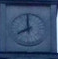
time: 7:58
